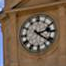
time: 2:21
